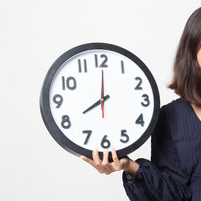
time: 8:00
